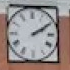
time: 2:09
